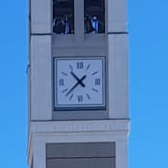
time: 10:37
